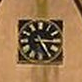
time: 5:15
